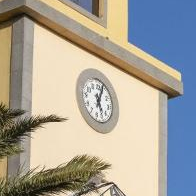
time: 5:03
